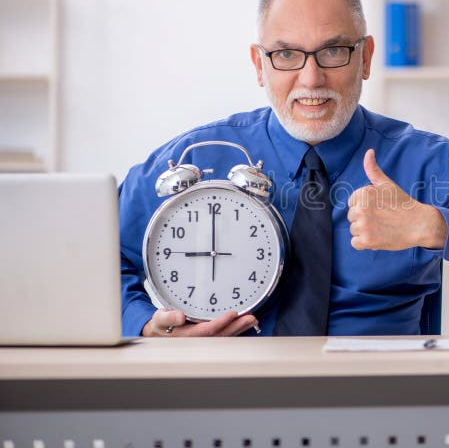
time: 9:00
